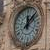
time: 12:07
